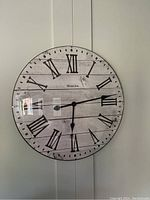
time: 6:13
